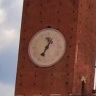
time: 12:34
